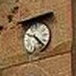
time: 9:23
